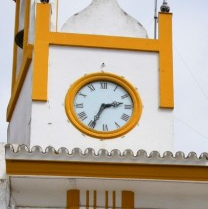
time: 2:34
